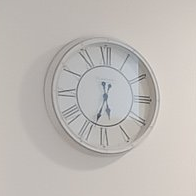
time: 5:33
